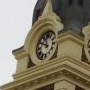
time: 11:49
